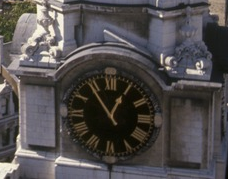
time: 12:54
